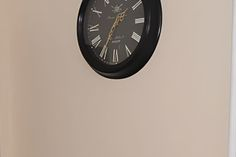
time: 1:35
